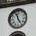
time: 4:57
